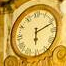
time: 6:11
